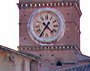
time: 4:35
